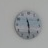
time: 11:28
